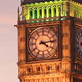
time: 4:13
